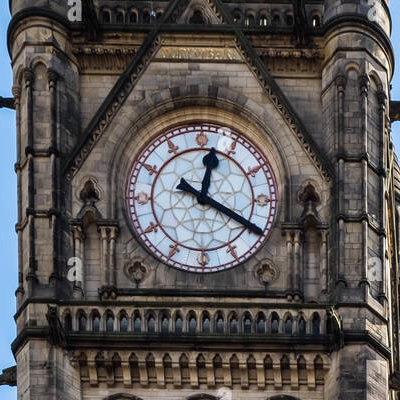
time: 12:19
